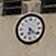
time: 6:21
